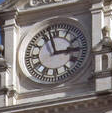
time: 2:57
